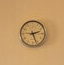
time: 2:26
